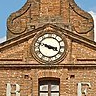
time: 3:48
